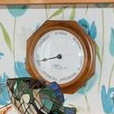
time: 8:42
